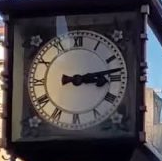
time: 3:13
